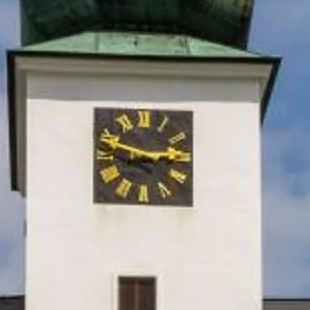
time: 2:48
